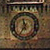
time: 11:35
